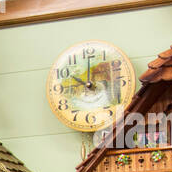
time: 10:00
